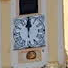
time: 12:00
